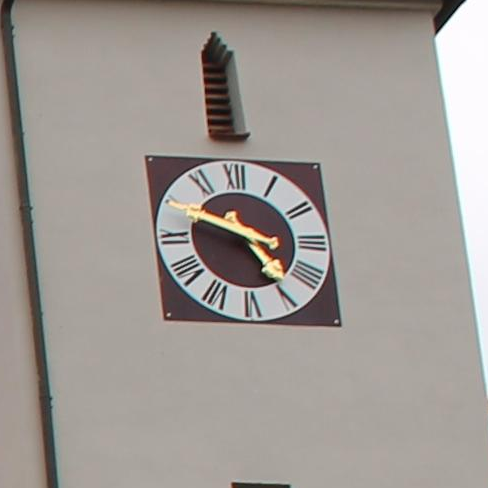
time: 4:49
